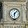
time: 6:07
